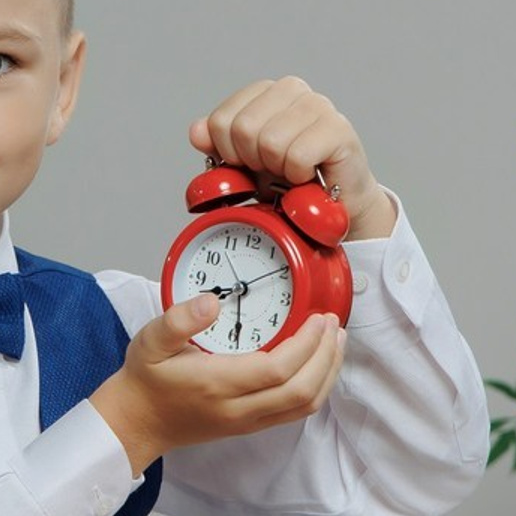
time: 8:28
